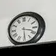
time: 3:29
